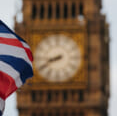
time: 8:40
